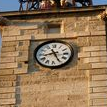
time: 8:25
